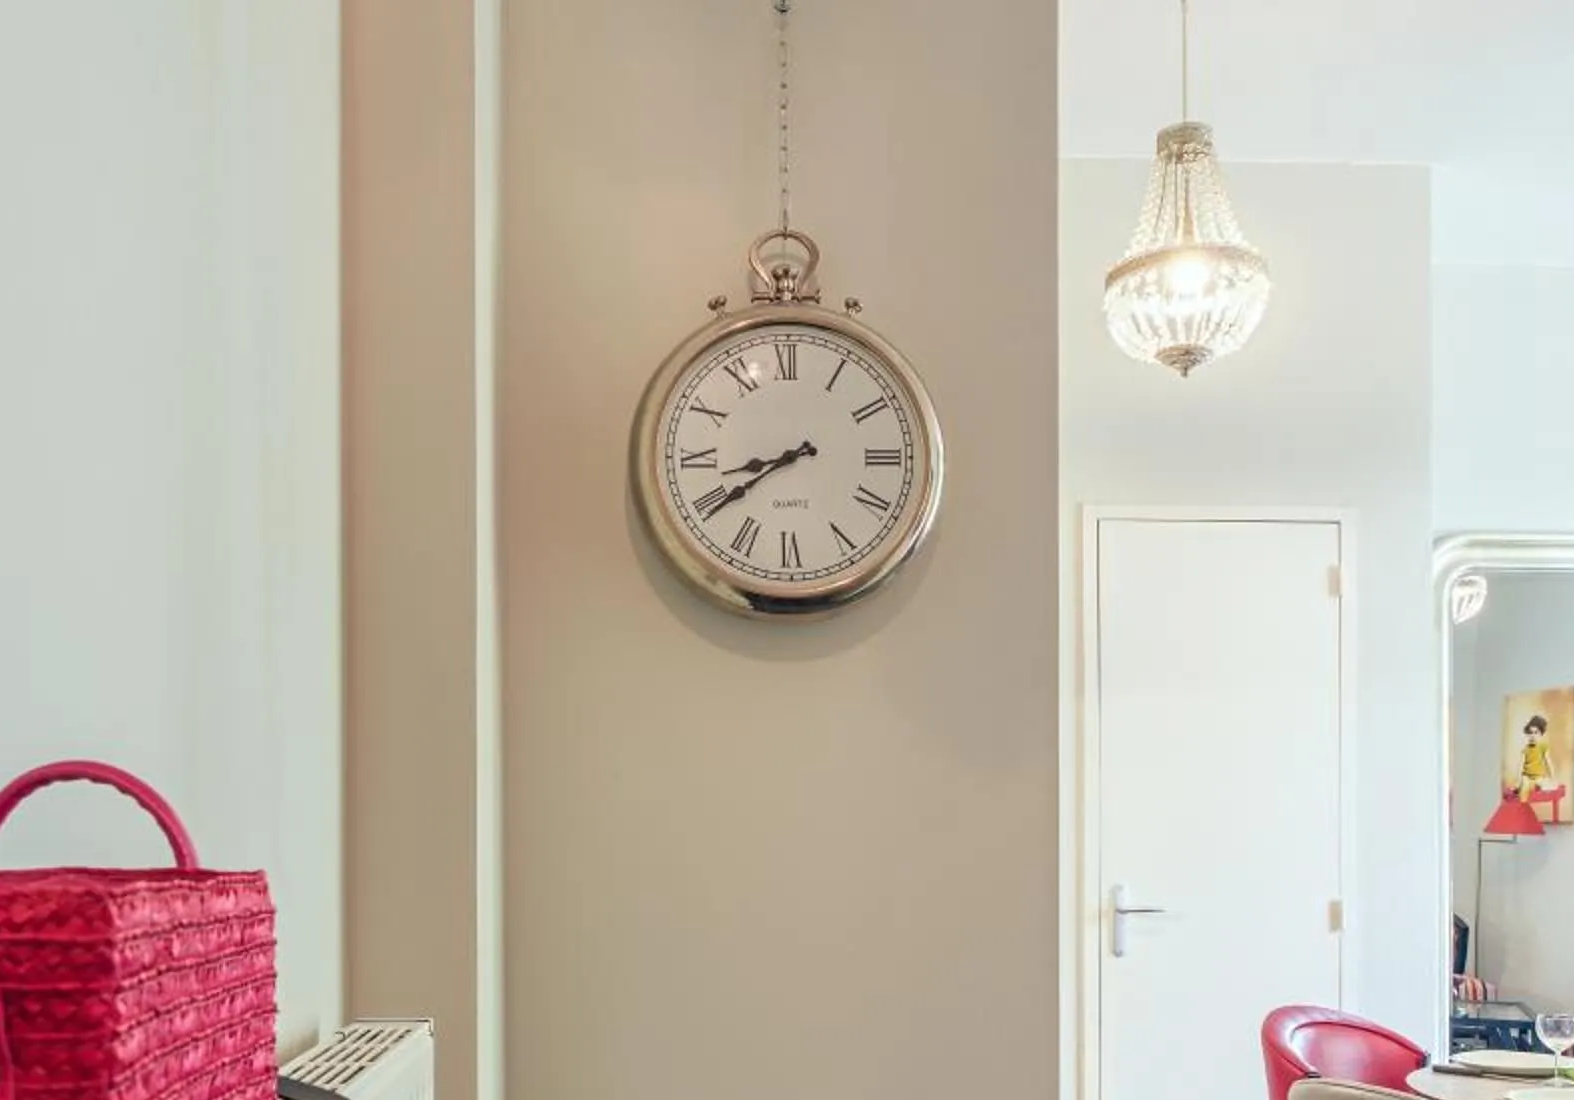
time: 8:40
